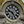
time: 4:48
